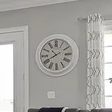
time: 10:40
